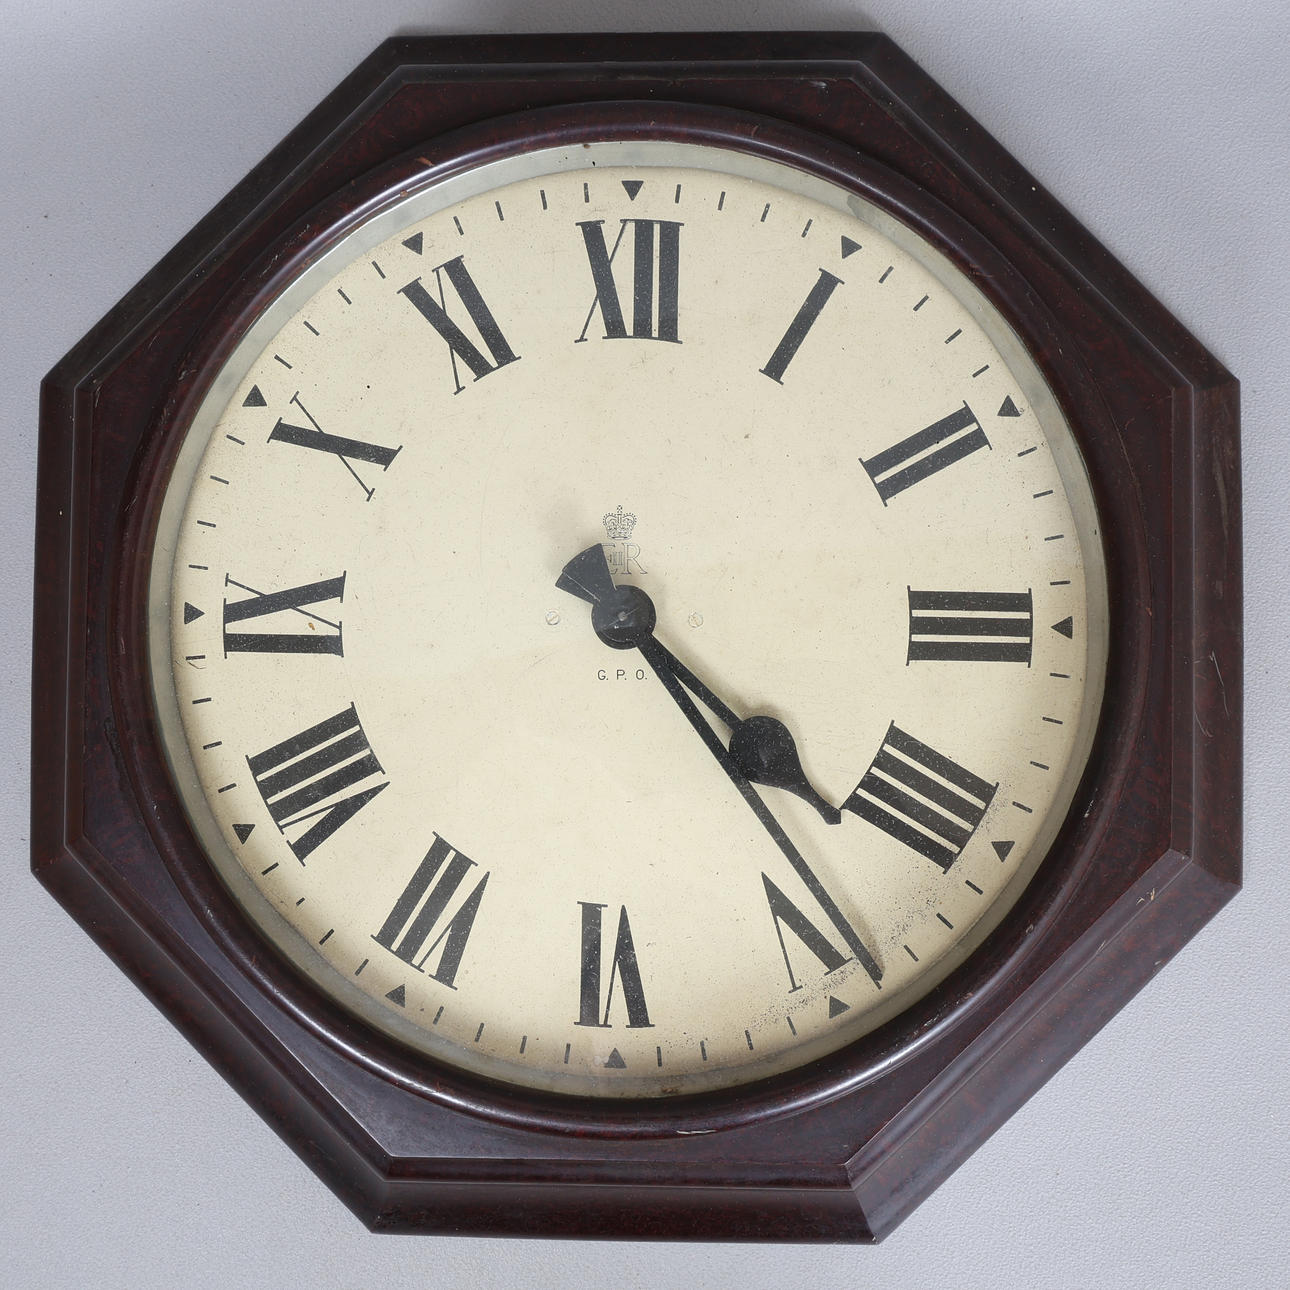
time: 4:21
